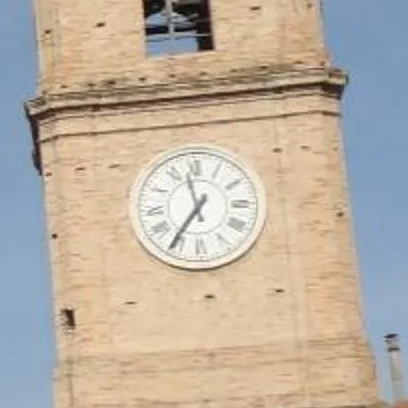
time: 11:35
